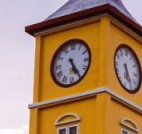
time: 5:24
